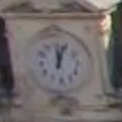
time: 12:03
